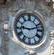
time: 9:12
